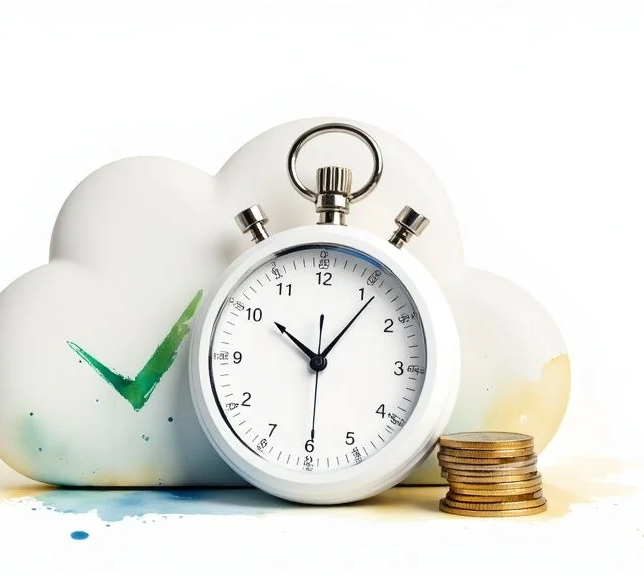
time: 10:06
